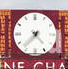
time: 4:37
